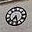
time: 7:28
